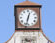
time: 12:32
